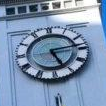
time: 5:13
